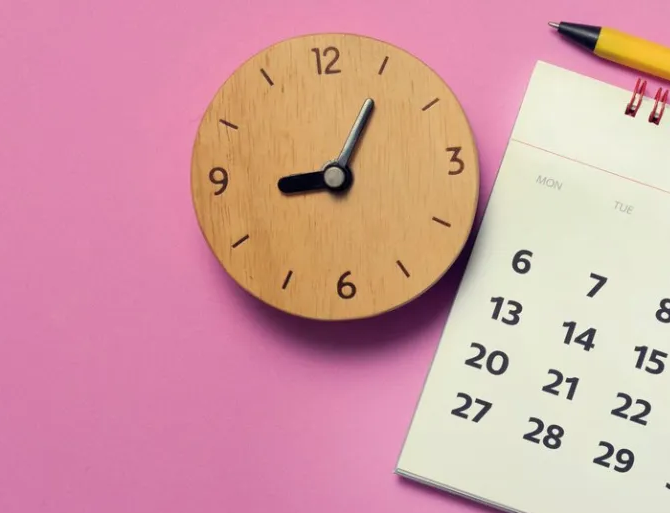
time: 9:05
